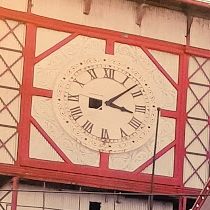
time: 3:08
